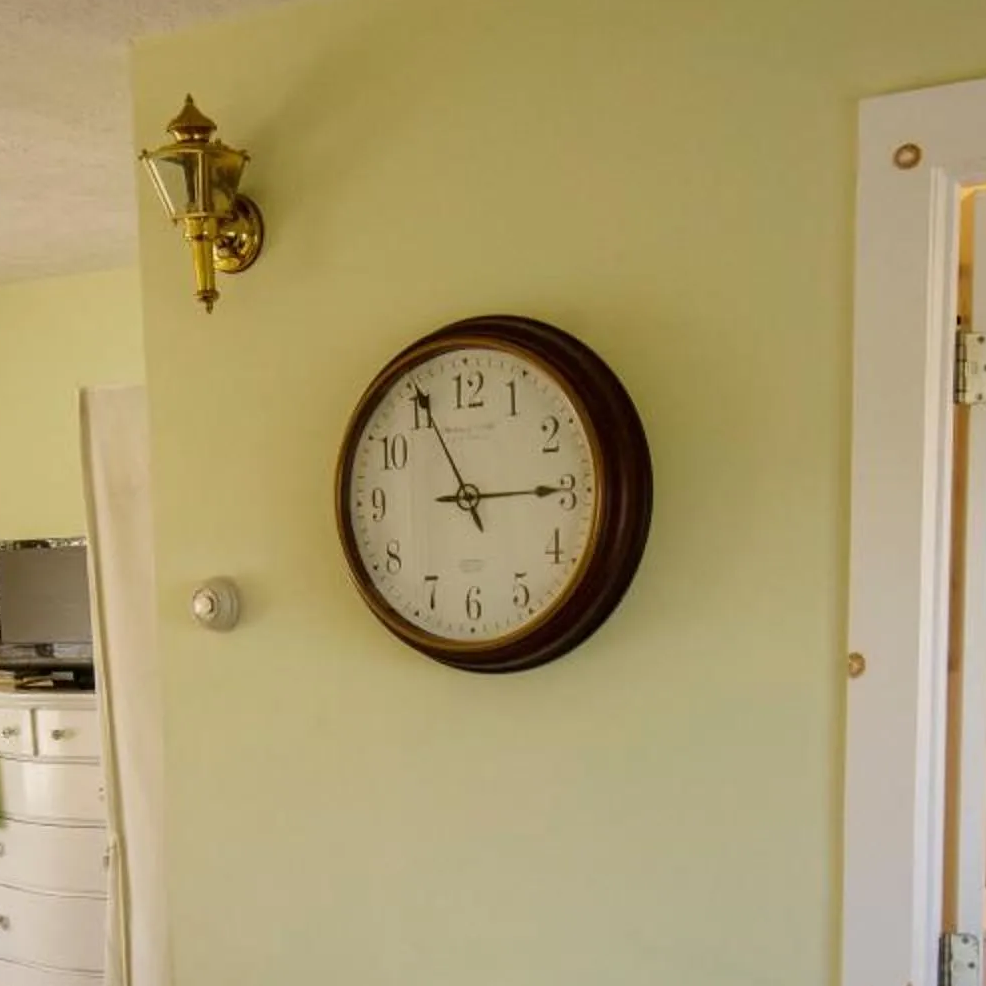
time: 2:55
